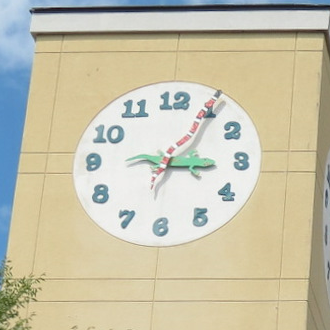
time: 3:05
